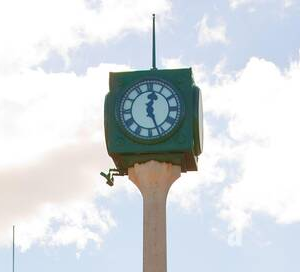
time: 12:26
